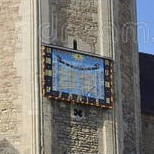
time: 2:48
